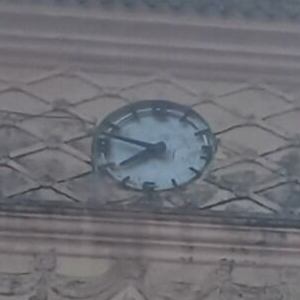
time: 7:47
